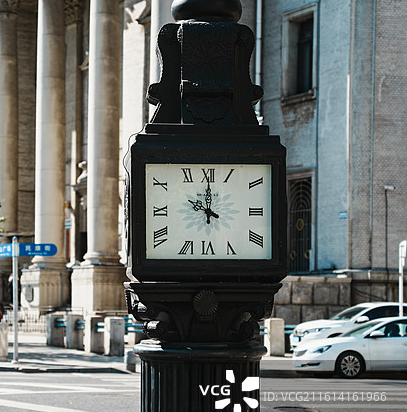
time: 10:00
